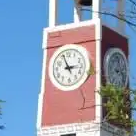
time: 2:56
